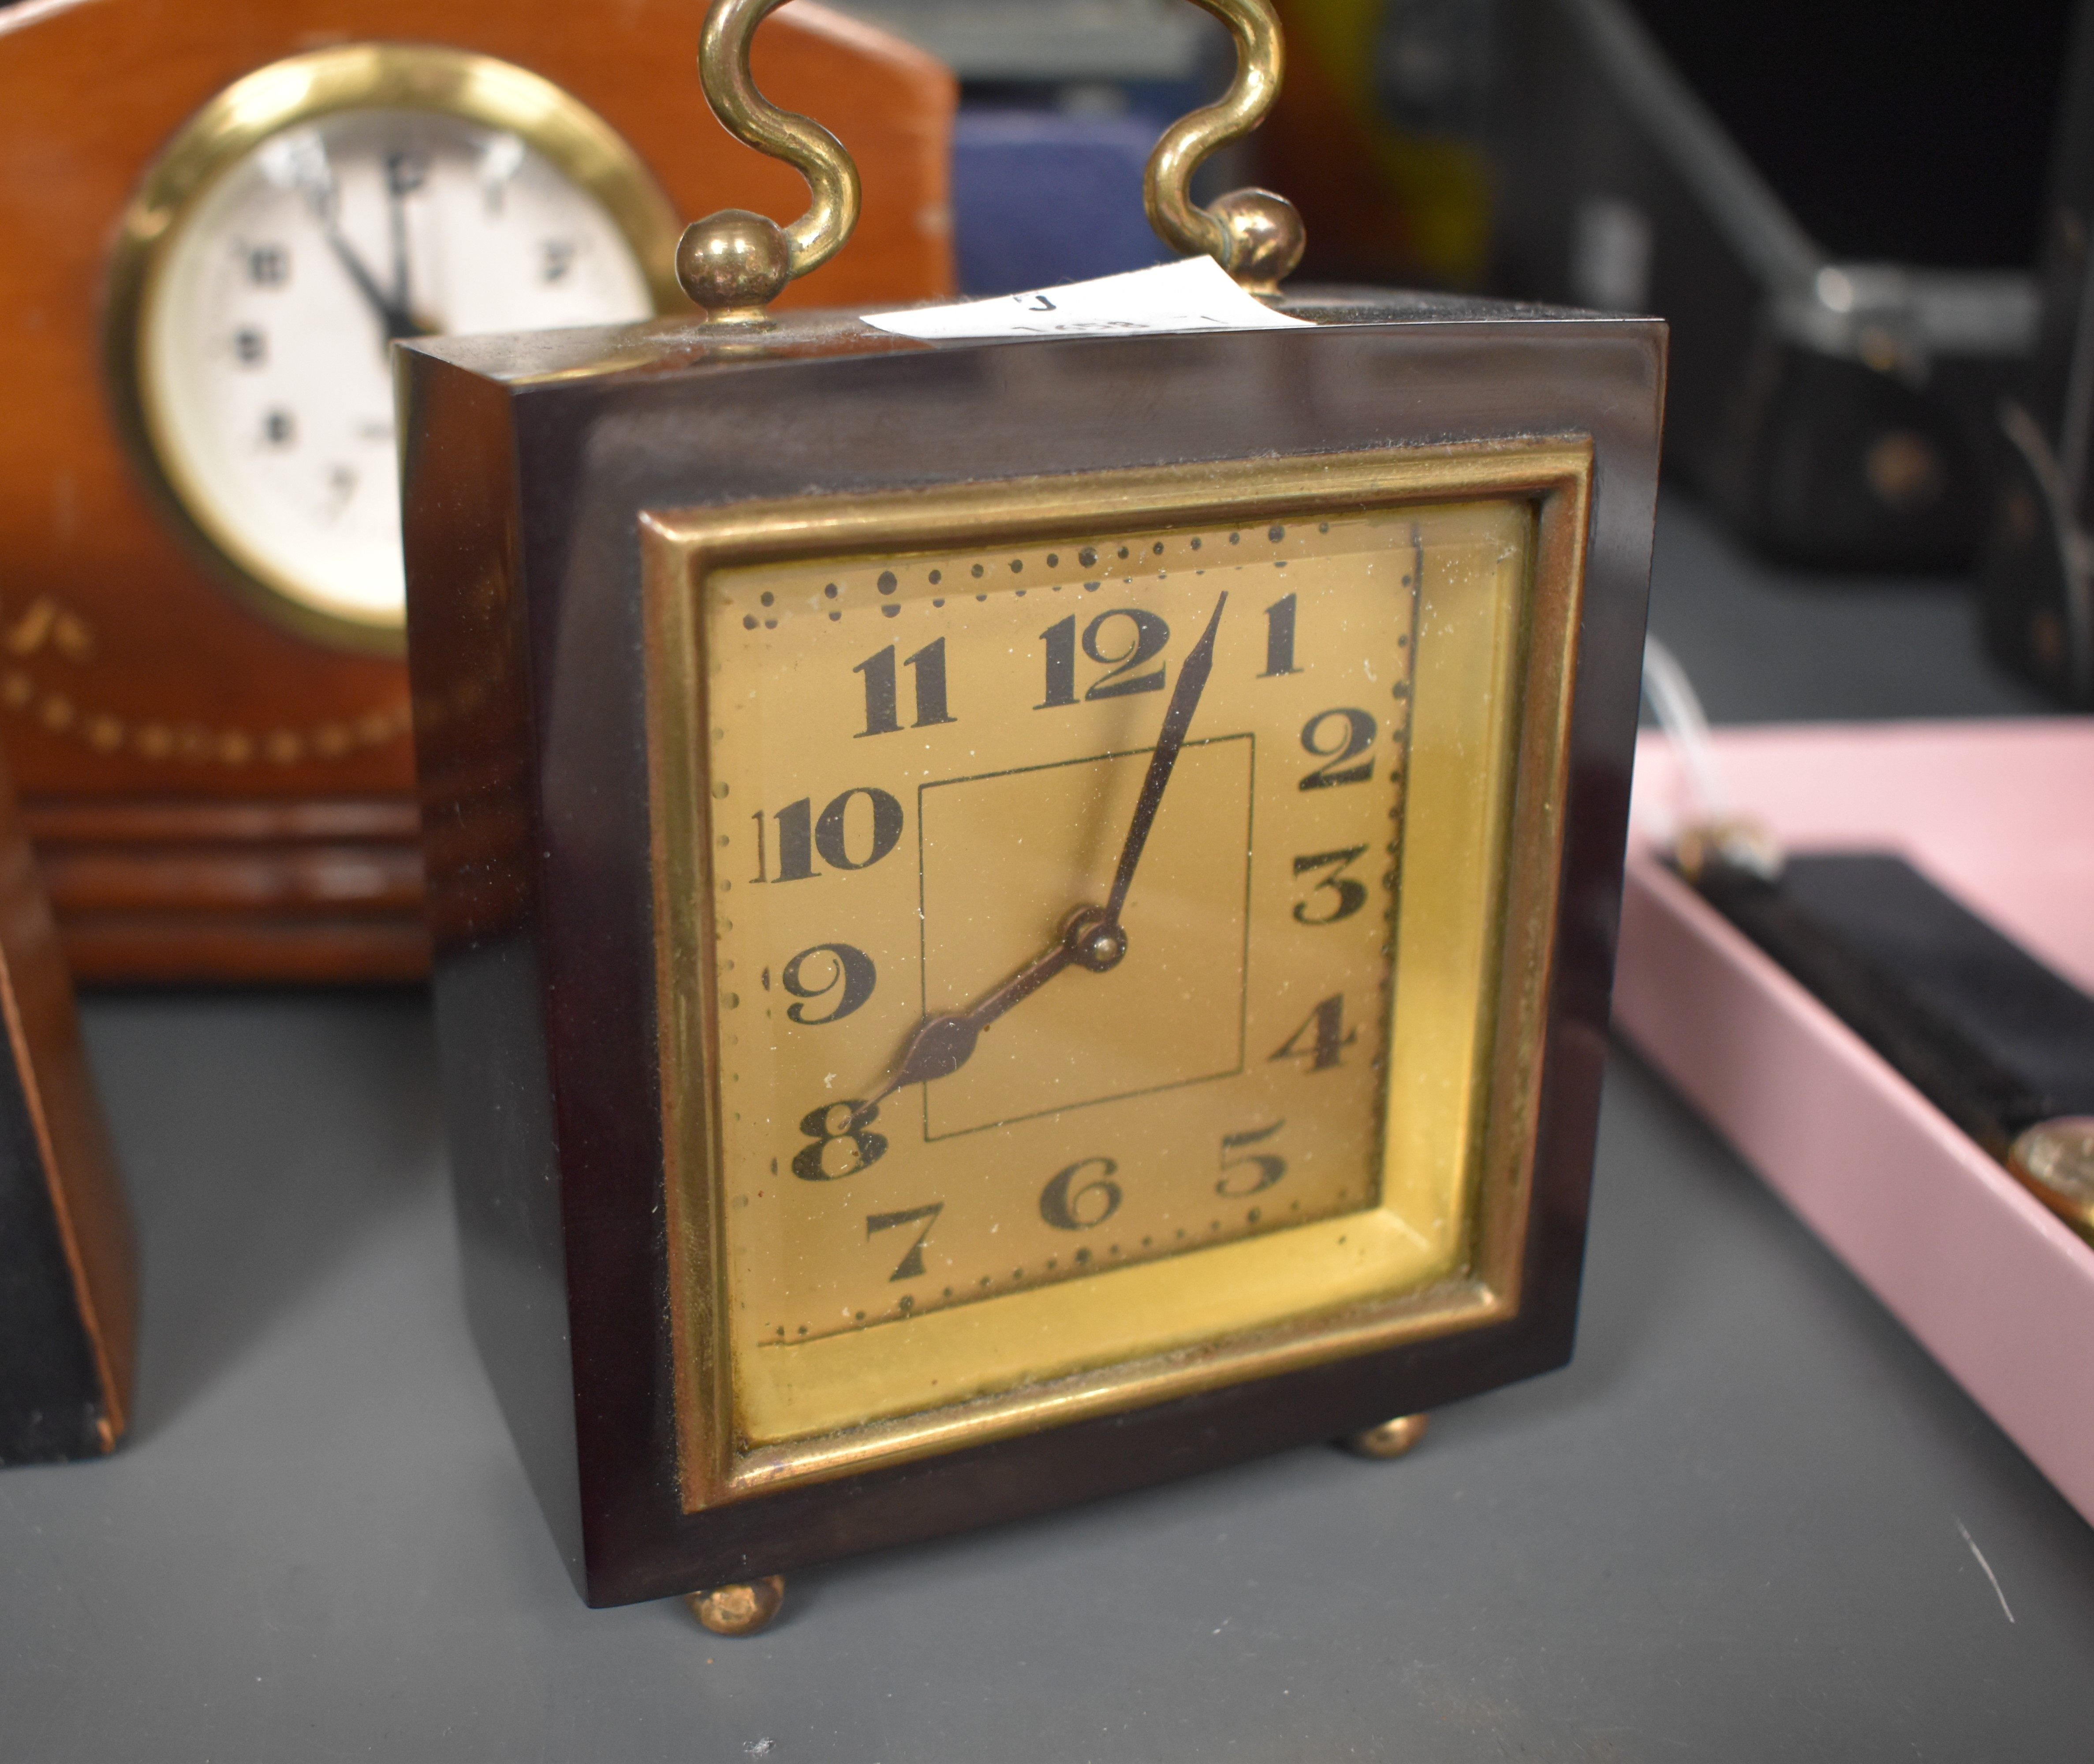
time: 8:03
